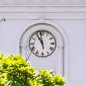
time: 10:58
